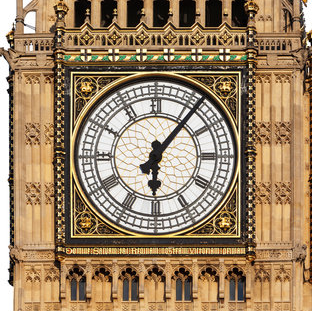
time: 6:06
